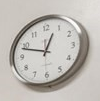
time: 12:48
